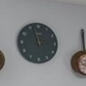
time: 2:57
